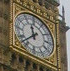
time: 11:37
